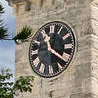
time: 11:20
